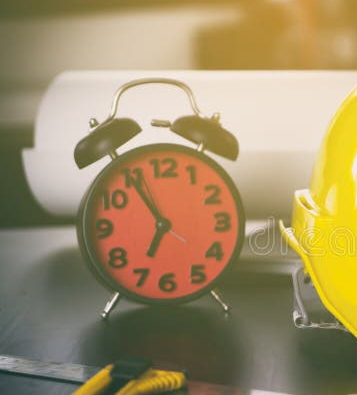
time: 6:54
